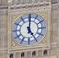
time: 5:00
